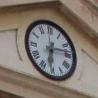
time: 6:13
